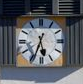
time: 5:33
